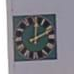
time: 2:01
